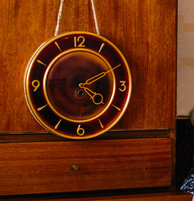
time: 4:10
